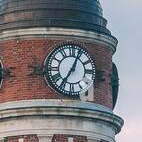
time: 7:04
